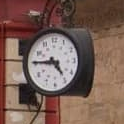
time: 4:45
